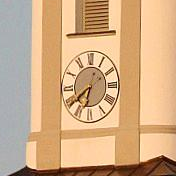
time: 6:39
